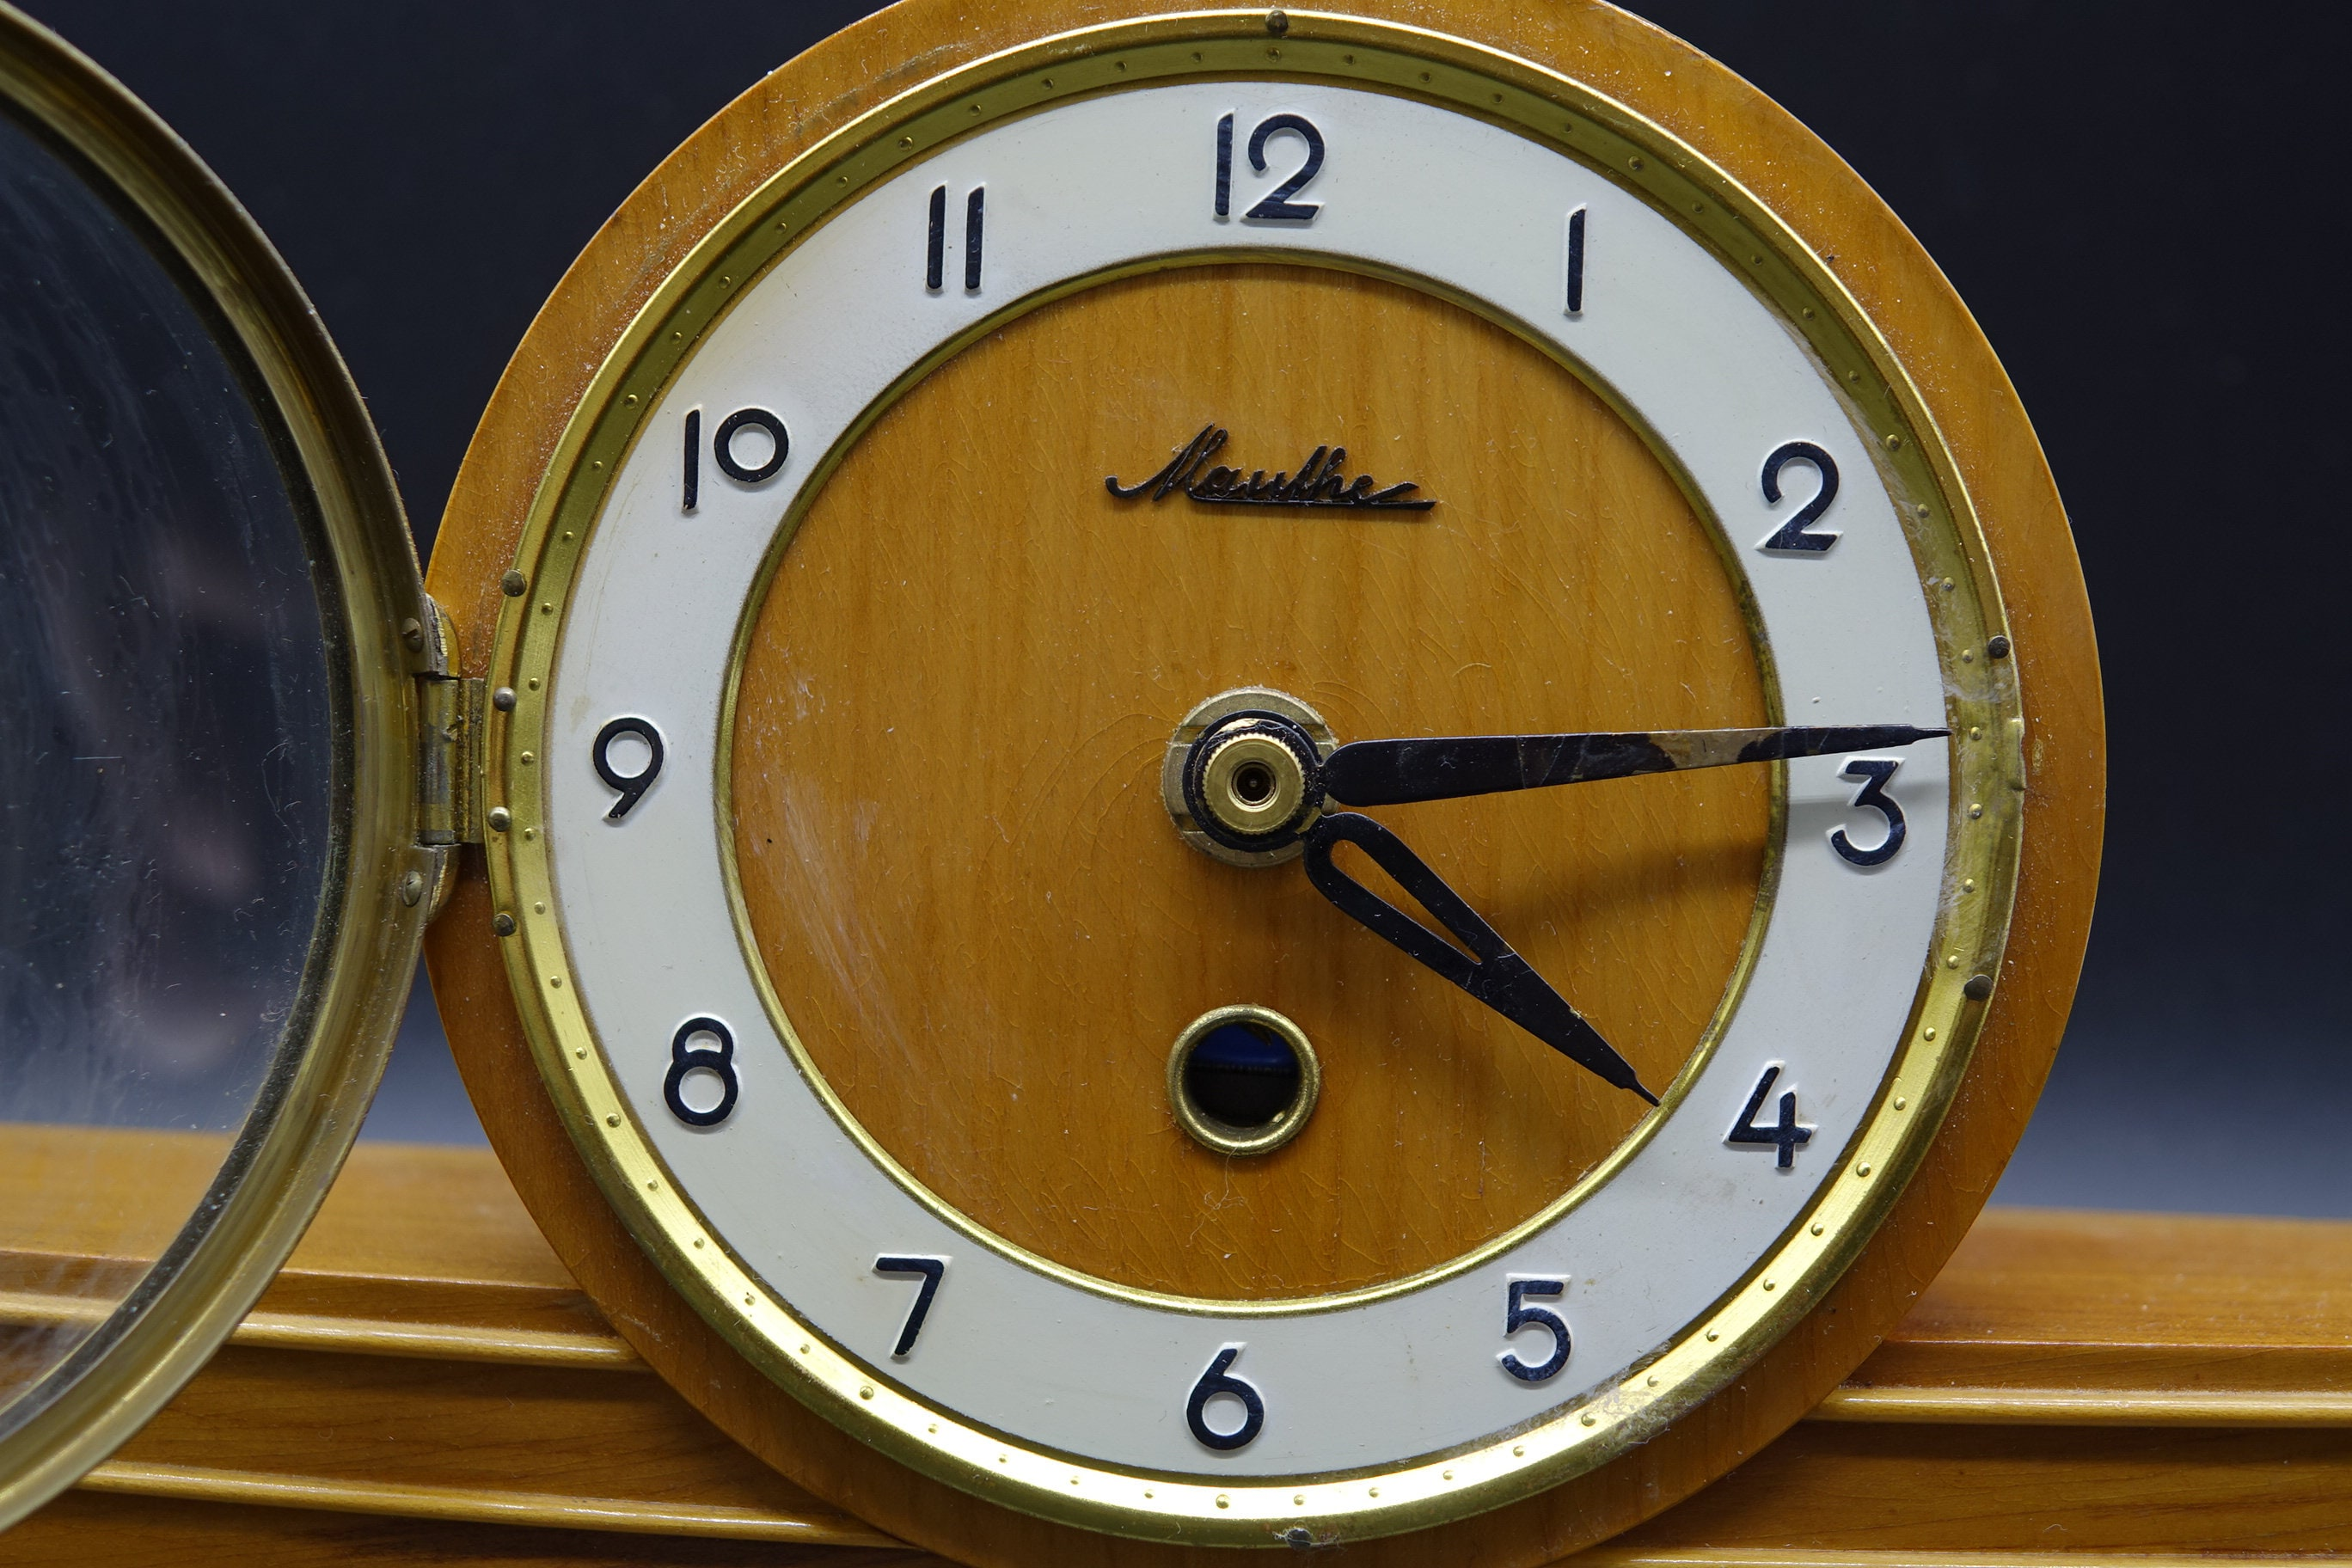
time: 4:14
